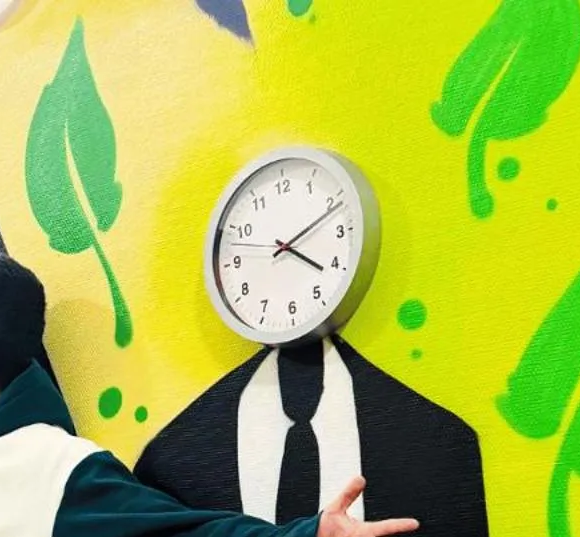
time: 4:11
